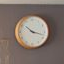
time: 10:17
